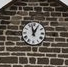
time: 12:57
